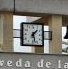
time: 1:27
